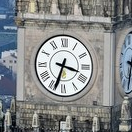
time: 3:33
